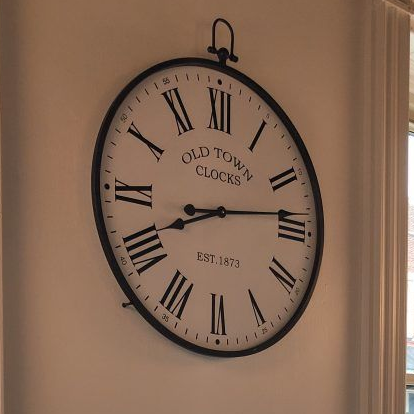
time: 8:13
